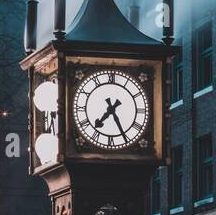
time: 7:25
